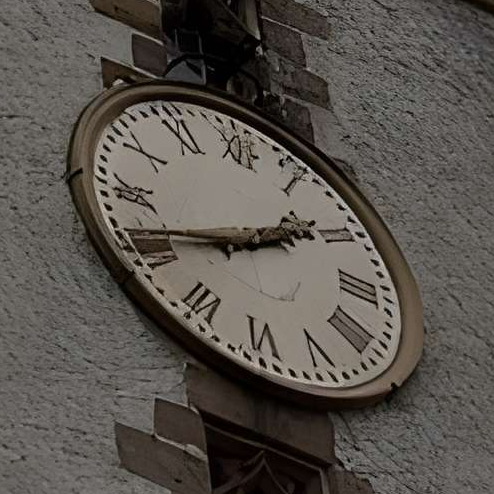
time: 1:41
